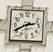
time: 2:40
